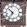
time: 10:35
